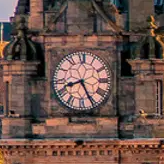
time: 8:25
